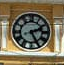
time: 2:25
